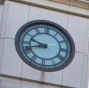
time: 9:42
